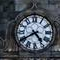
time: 4:40
